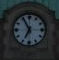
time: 6:54
